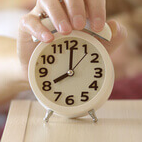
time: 8:00
